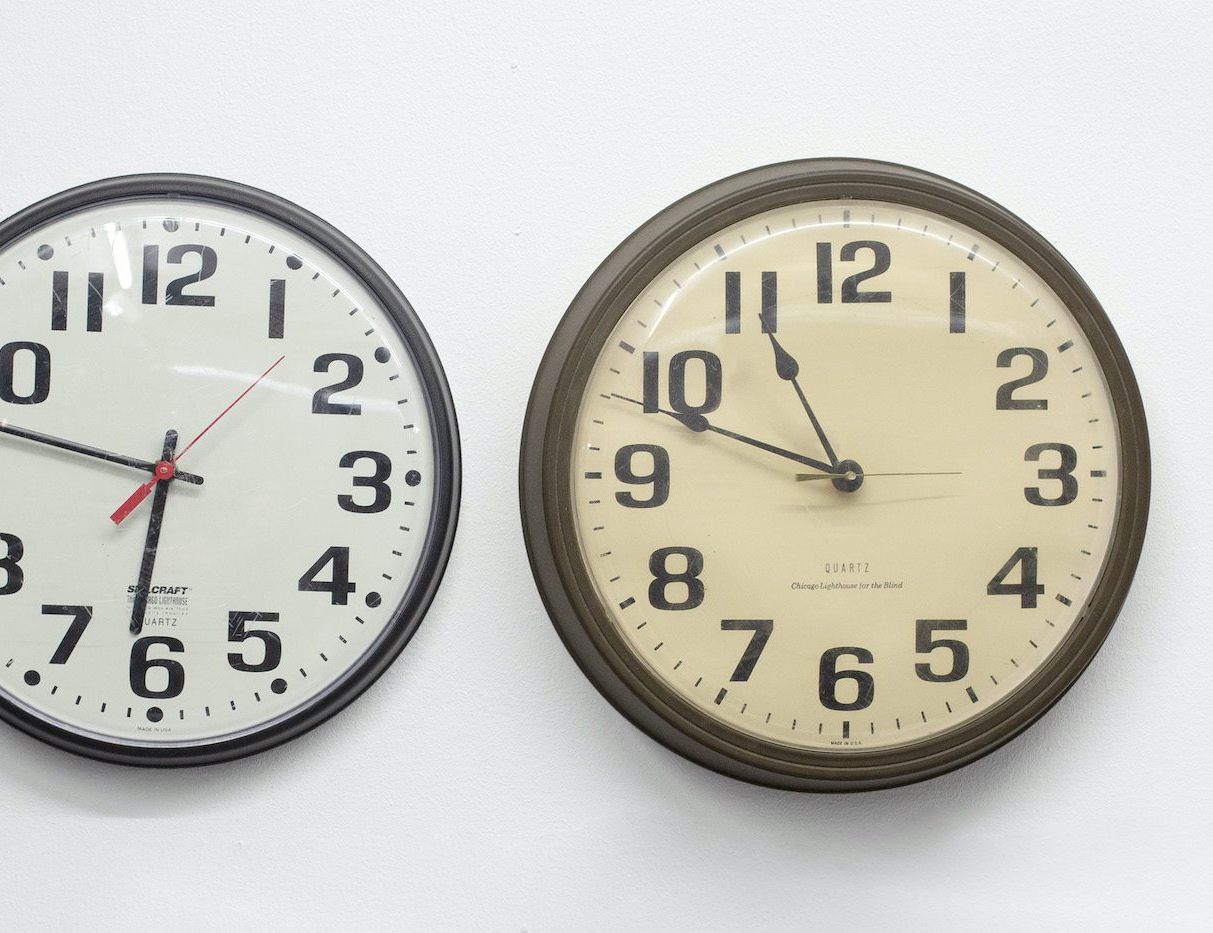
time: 10:48
